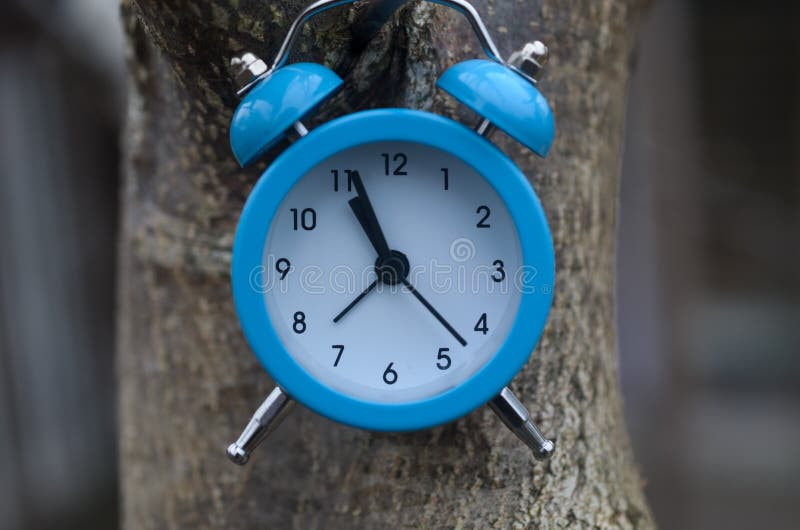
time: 11:22
